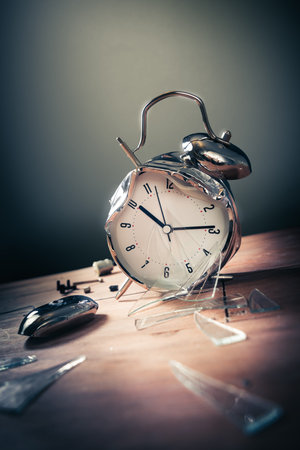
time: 10:14
